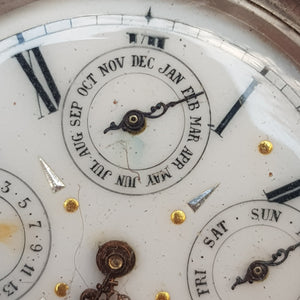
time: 8:09
